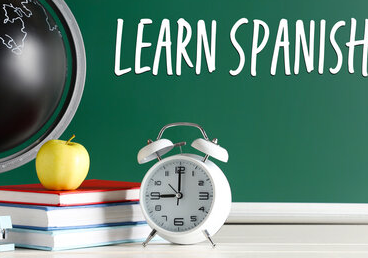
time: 9:00
